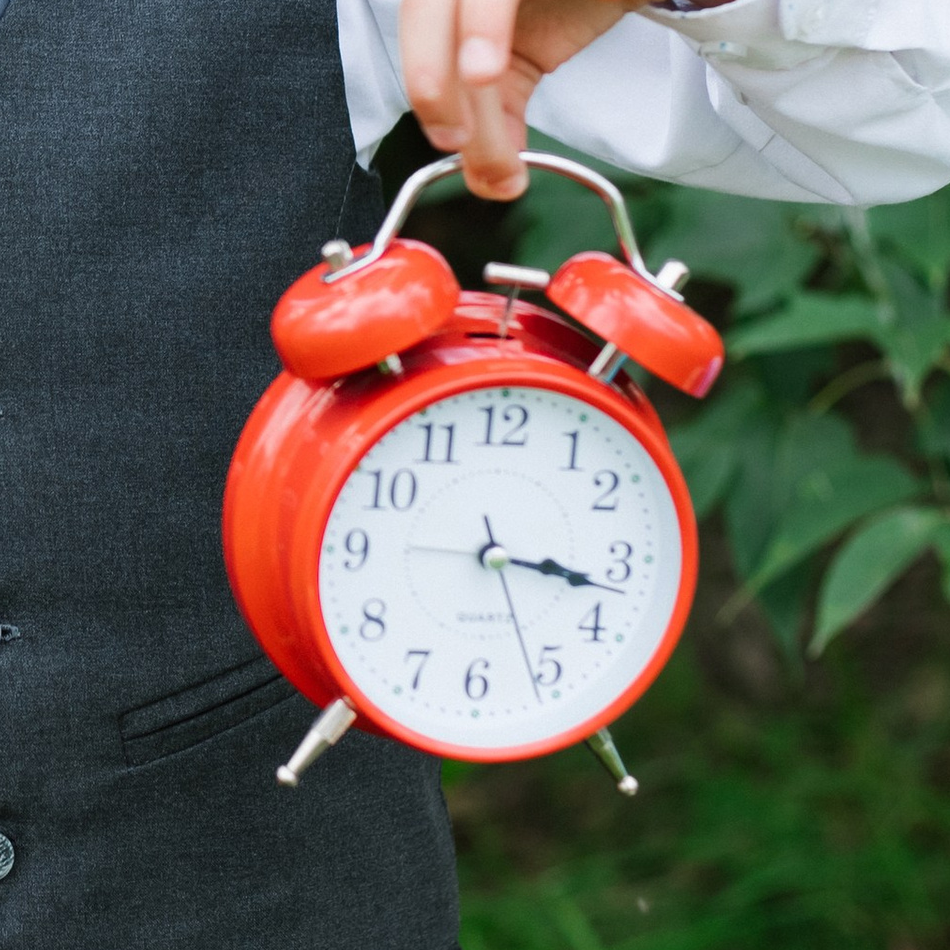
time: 3:17
